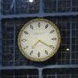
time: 7:20
